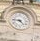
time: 4:45
